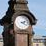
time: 2:21
